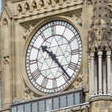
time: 10:23
